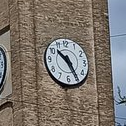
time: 10:25
